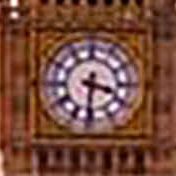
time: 3:31
